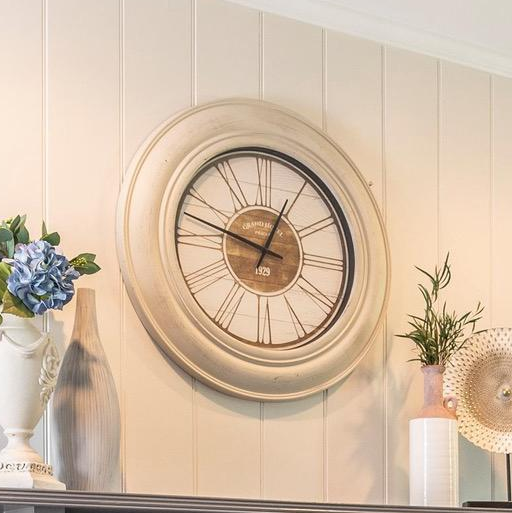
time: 12:47
